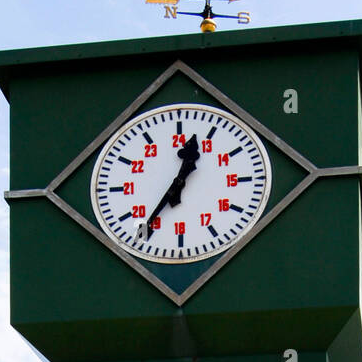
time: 12:36
